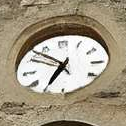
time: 6:50
